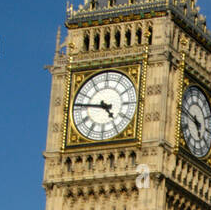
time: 4:46
